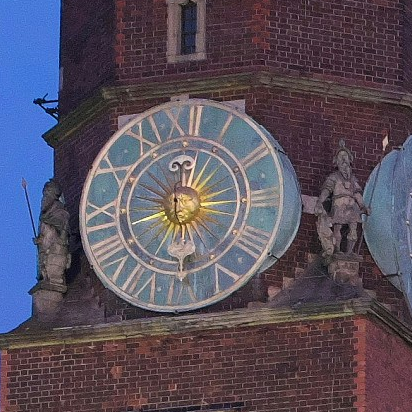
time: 12:14
